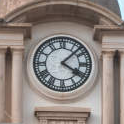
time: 4:07
